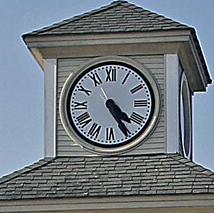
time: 4:25
